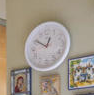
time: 12:50
